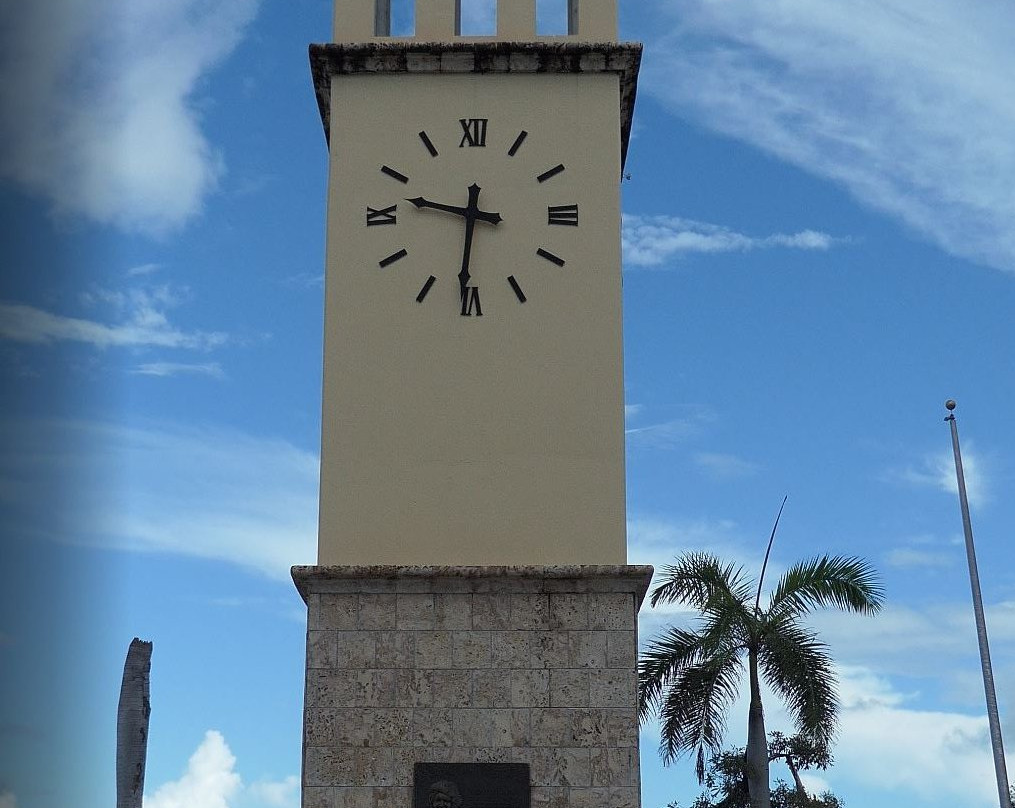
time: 9:31
